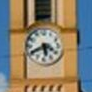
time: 5:40
